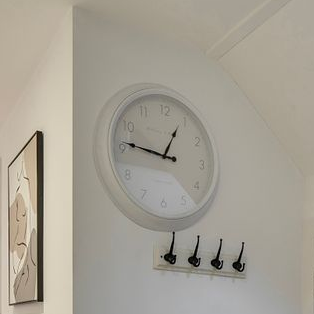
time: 12:46
